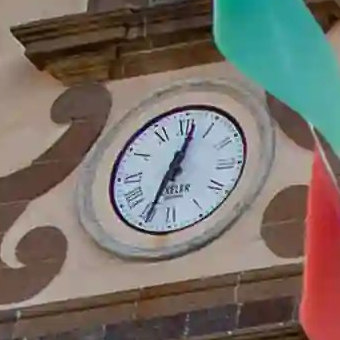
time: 12:33
